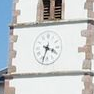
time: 3:33
